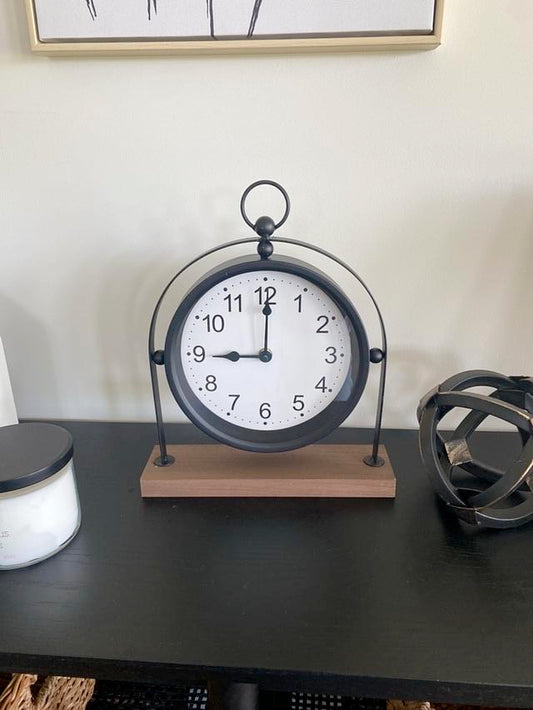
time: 9:00
